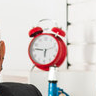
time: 5:46
